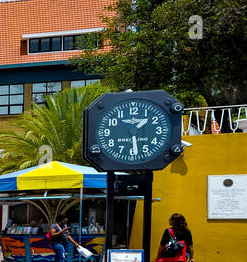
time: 1:28
